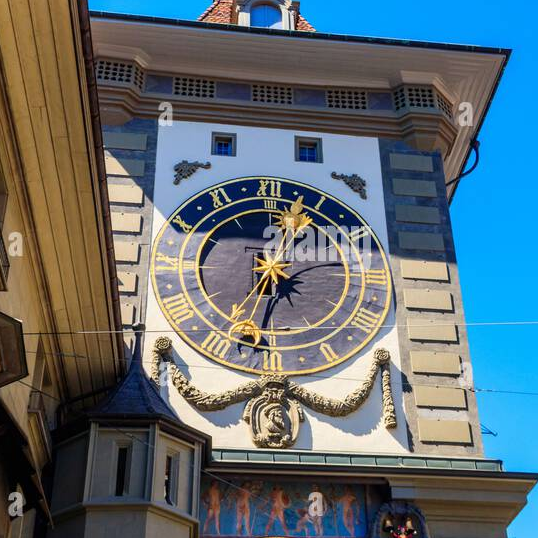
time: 12:33
